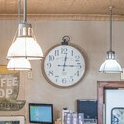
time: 12:15
